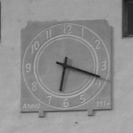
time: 6:18
